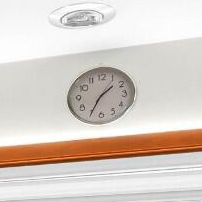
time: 1:34
